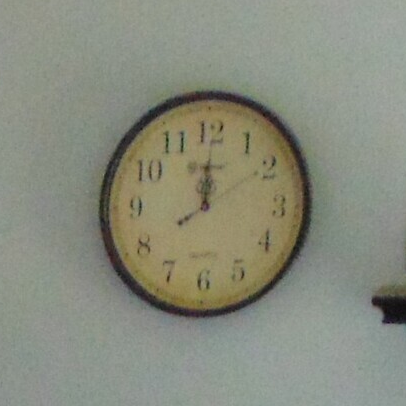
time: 12:00
